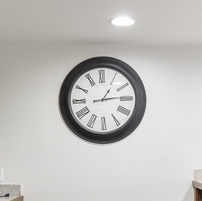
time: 1:13
